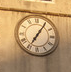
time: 7:05
